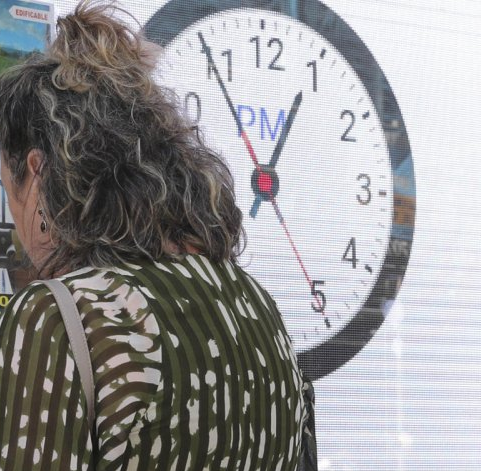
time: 12:54
